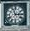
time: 2:56
